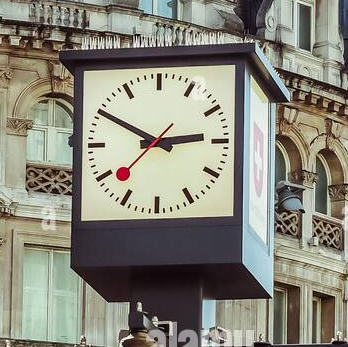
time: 2:50
